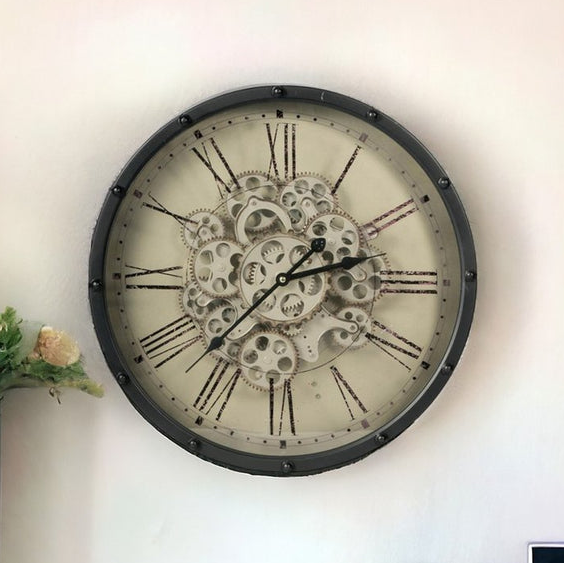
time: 2:37
